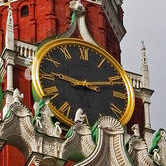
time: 9:12
